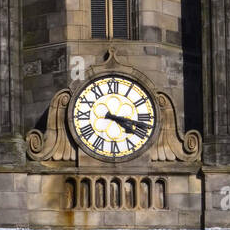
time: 4:17
